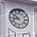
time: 8:51
